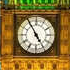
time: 4:54
